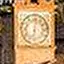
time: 6:01
